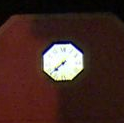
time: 7:37
